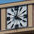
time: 4:01
